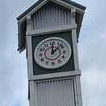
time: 12:07
